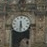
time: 5:30
